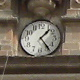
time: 1:24
